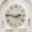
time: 2:46
